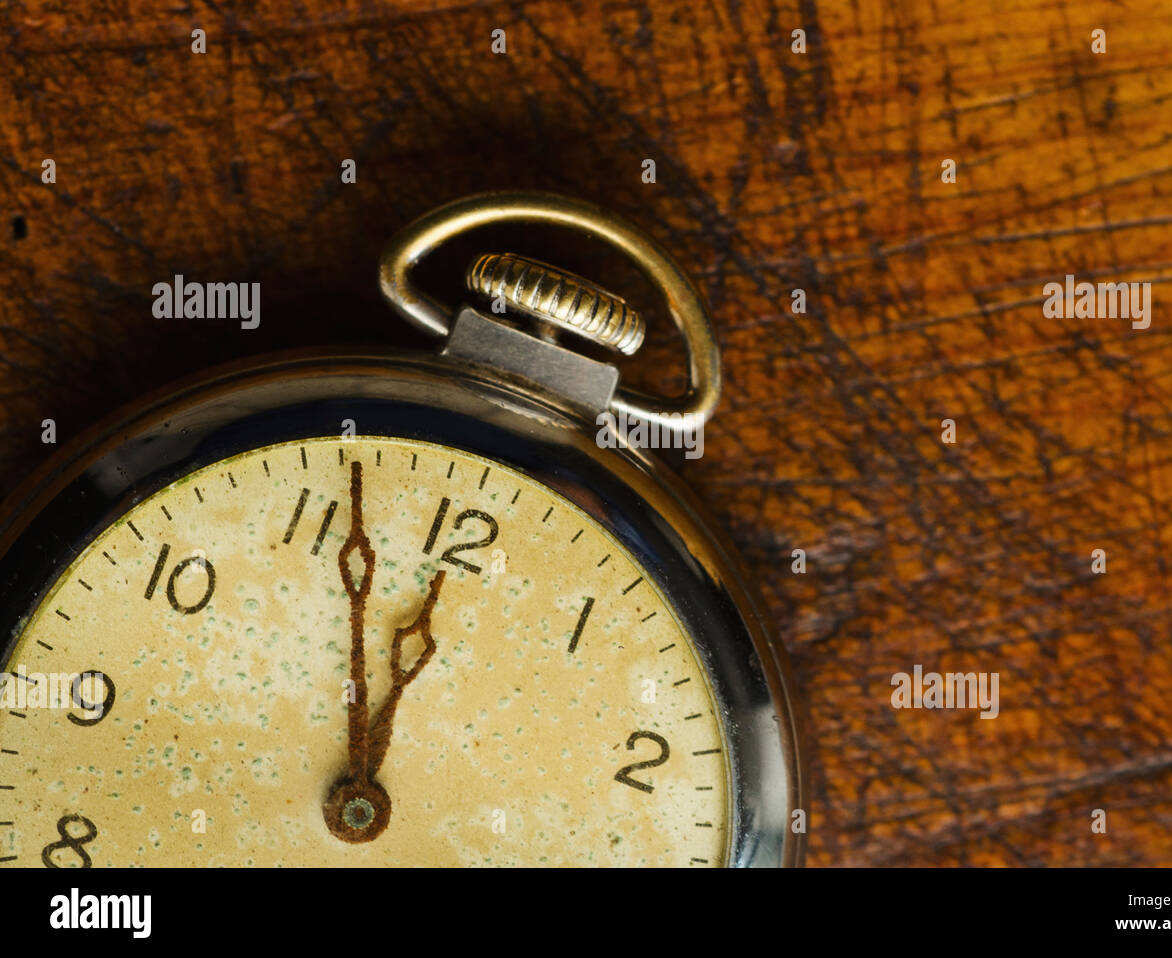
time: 11:56
